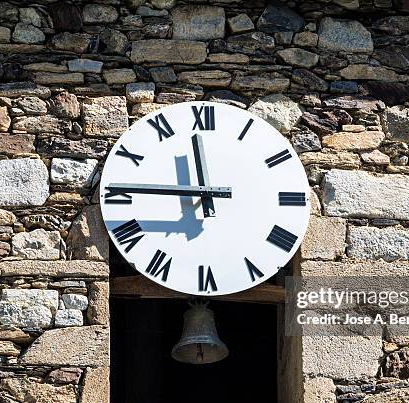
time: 11:45
